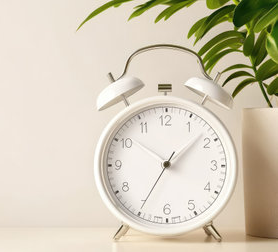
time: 1:34
